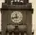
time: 11:42
